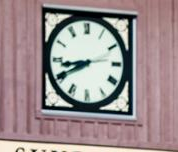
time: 8:40
